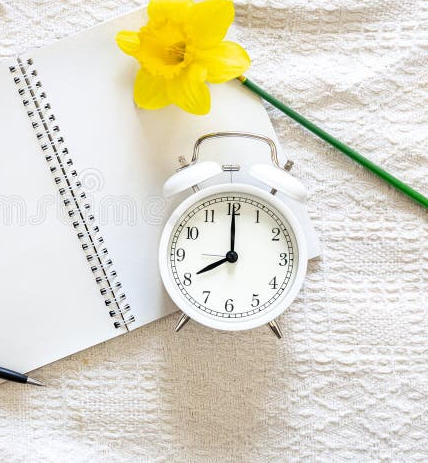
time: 8:00
